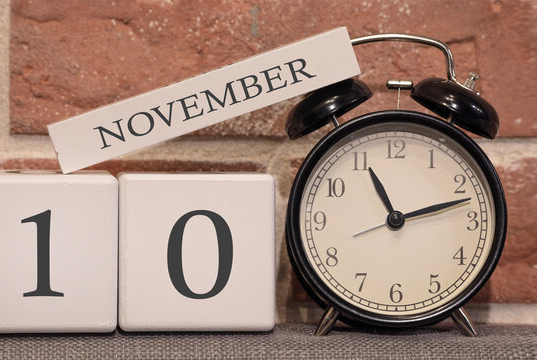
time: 11:12
